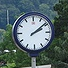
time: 2:08
